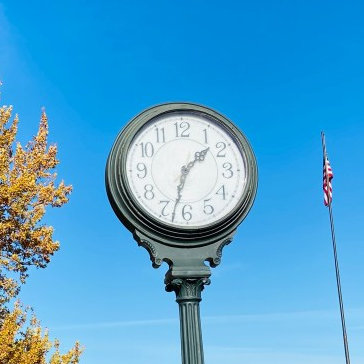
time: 1:32
